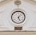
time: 5:06
